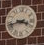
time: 3:42
